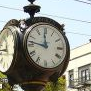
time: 11:46
